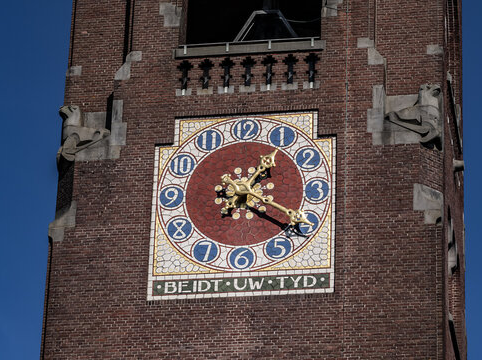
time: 1:20
